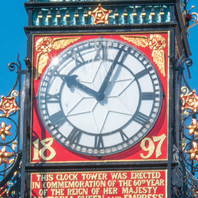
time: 10:03
